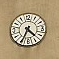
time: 4:34
